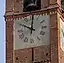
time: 10:00
